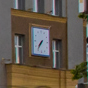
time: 7:36
